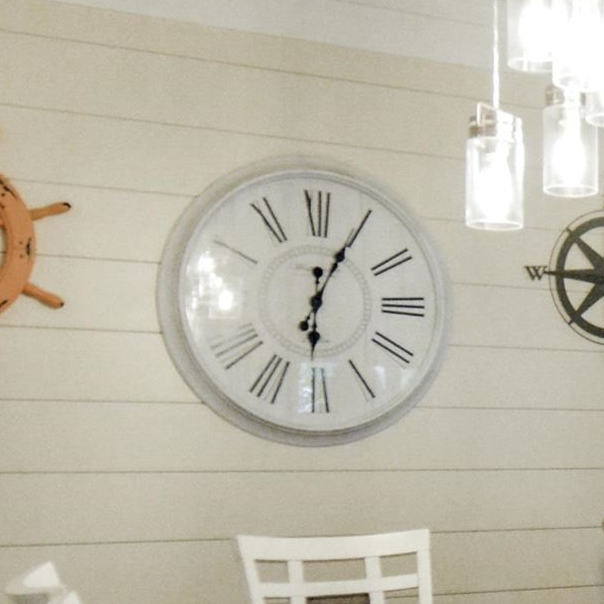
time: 6:04
